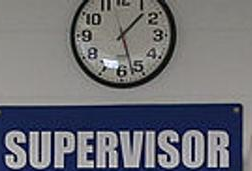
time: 1:27
